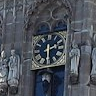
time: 2:29
